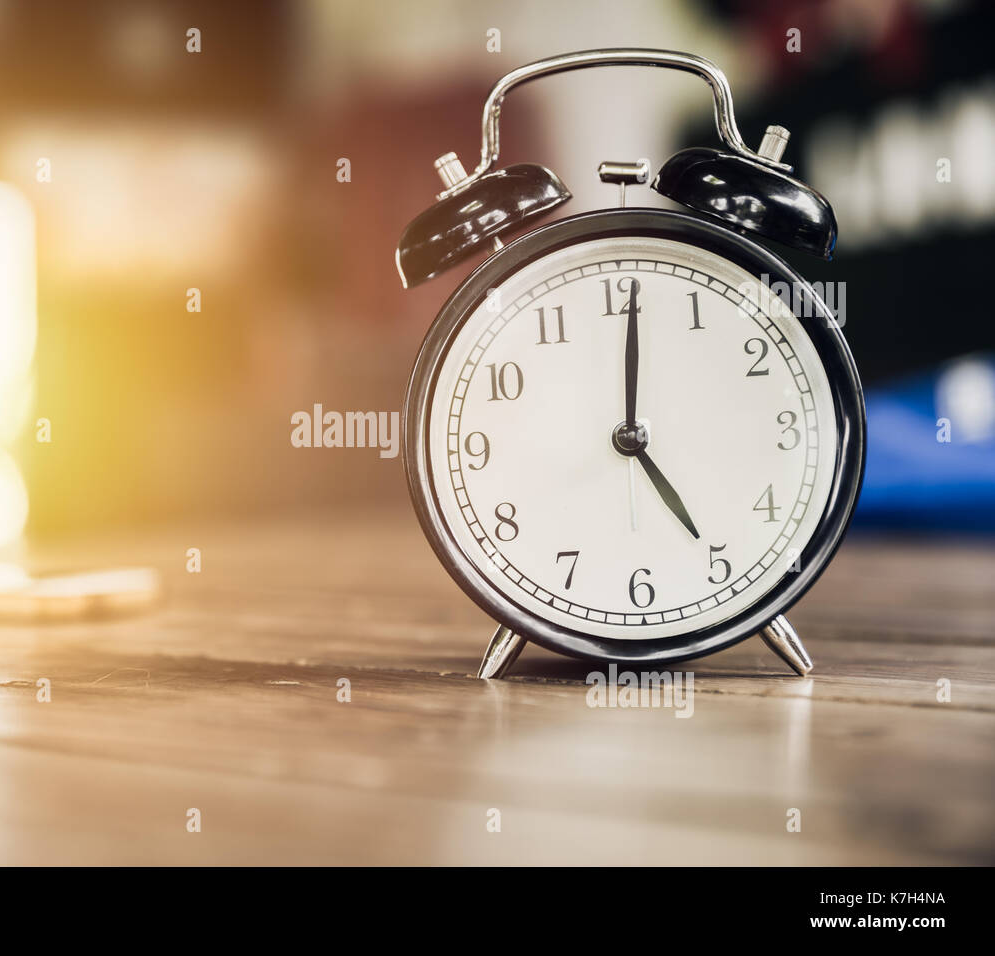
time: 5:01
